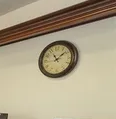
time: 11:08
